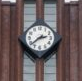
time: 2:38
